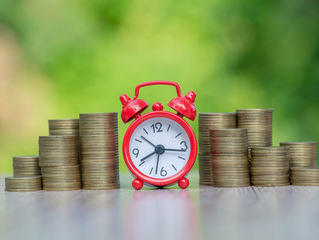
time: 8:16
